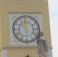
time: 5:59
